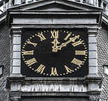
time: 12:07
